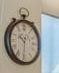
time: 10:31
